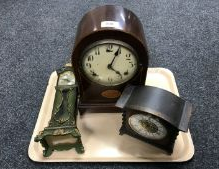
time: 4:04
